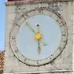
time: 5:53
